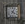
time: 4:04
